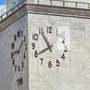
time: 7:54
